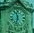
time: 11:32
